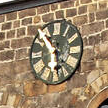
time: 10:28
